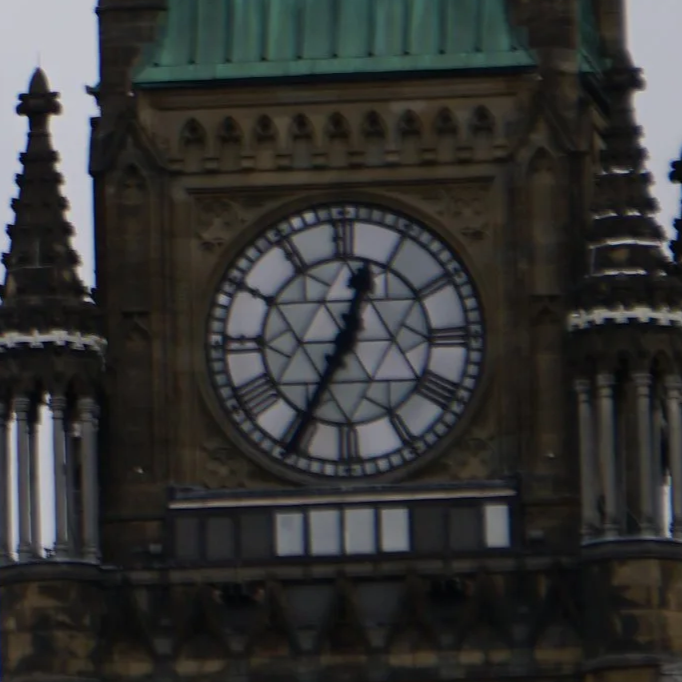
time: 12:34
